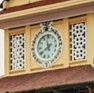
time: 7:57
